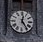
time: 12:24
